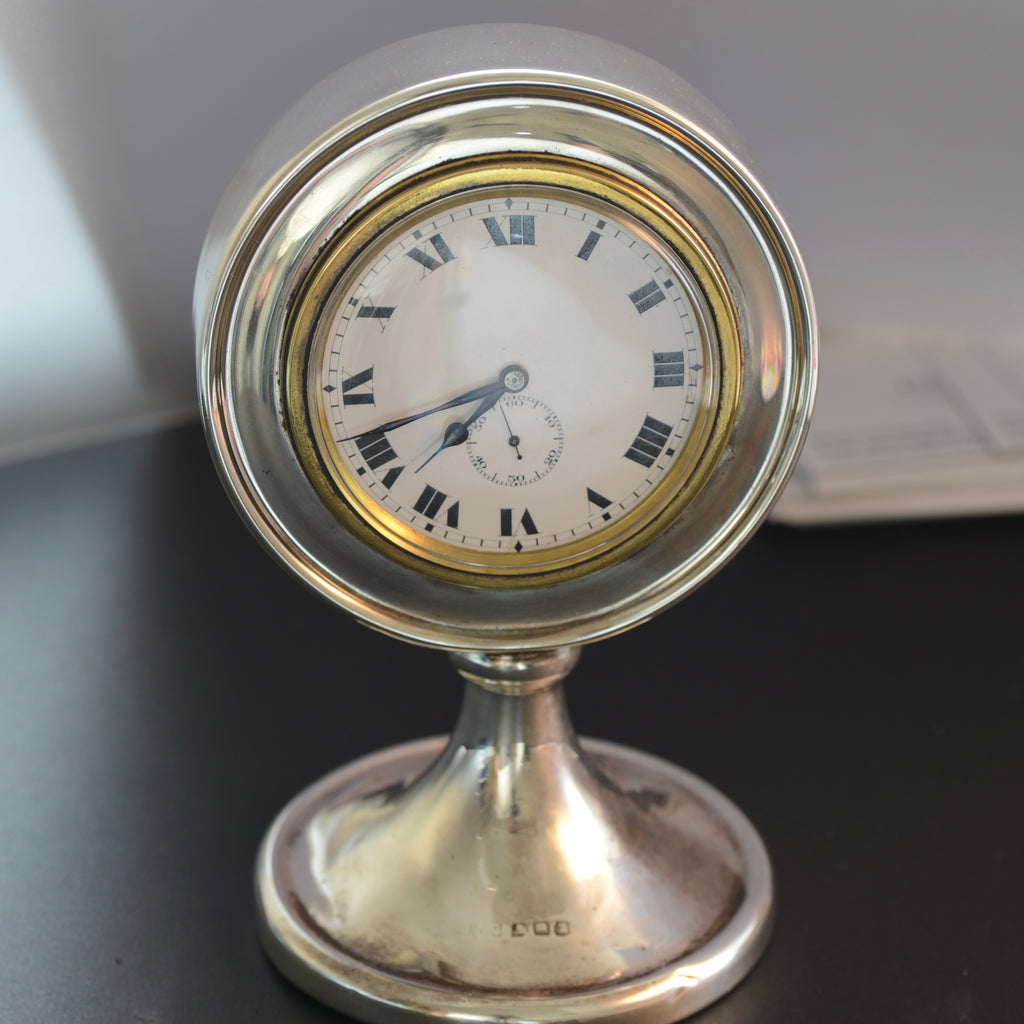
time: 7:42
